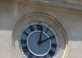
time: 2:02
